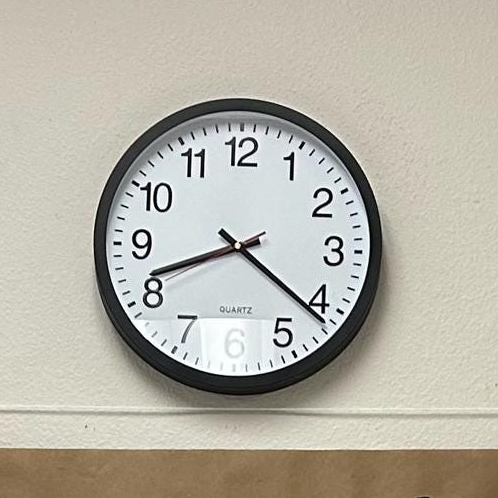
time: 8:21
